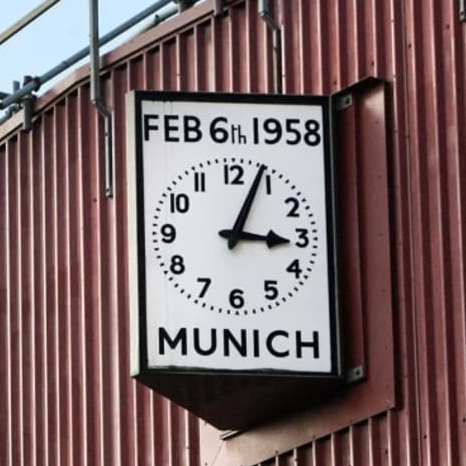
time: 3:04
